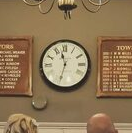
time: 11:32
